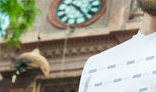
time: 10:24
